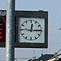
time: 12:14
